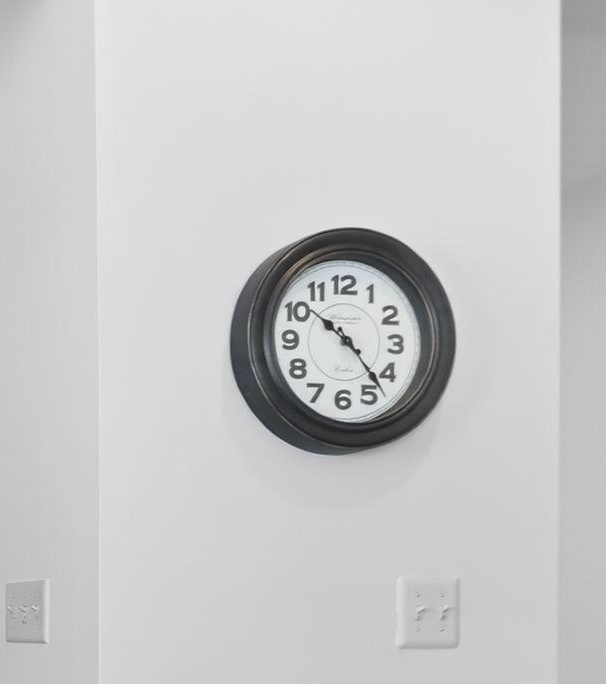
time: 10:23
